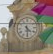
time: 4:29
